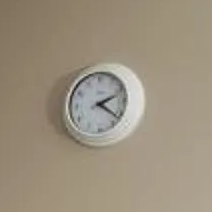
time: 2:21
